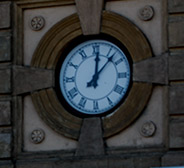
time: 12:07
